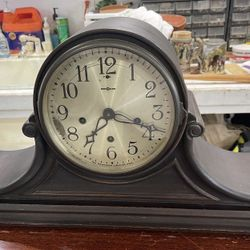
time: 7:18
